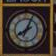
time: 8:04
